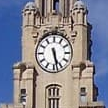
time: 5:27
